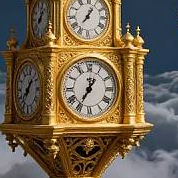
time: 7:01
